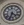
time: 4:34
